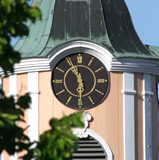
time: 5:55
